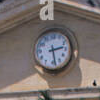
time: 2:28
